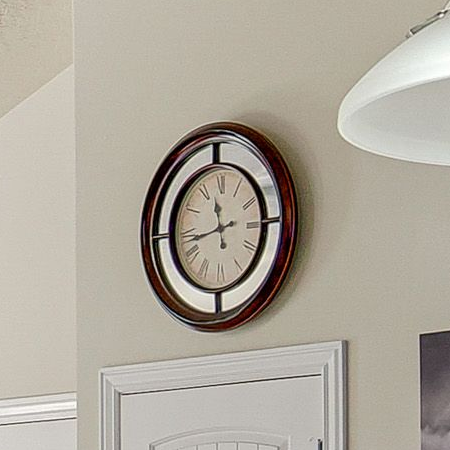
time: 11:42
